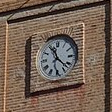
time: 11:22
